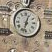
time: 12:32
